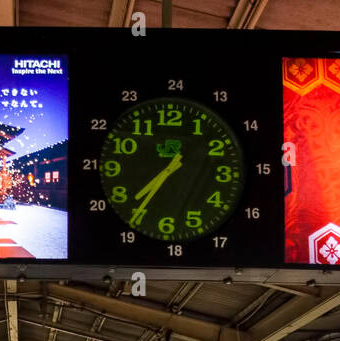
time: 7:35
